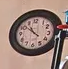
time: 10:51
